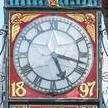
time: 5:17
